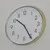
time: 10:25
